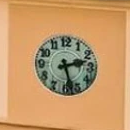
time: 2:27
